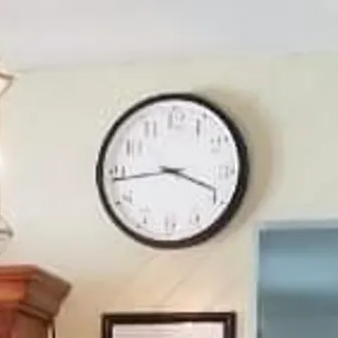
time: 3:43
